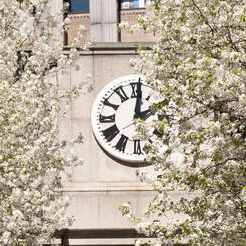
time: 2:01
